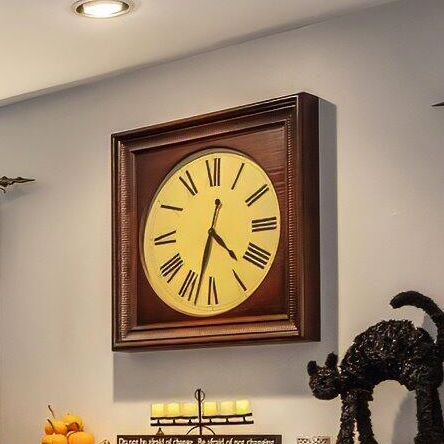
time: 4:33
